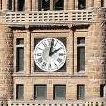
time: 2:01
